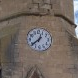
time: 12:38
